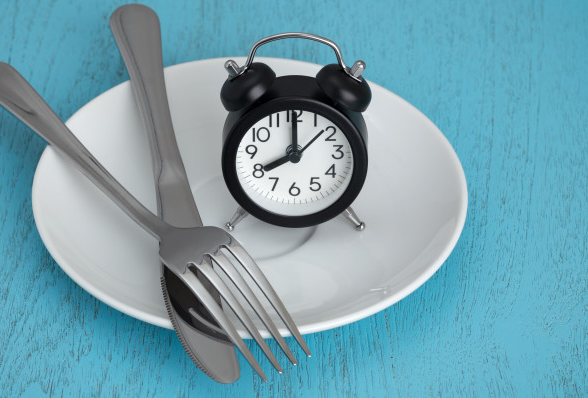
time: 8:00
